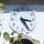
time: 3:24
